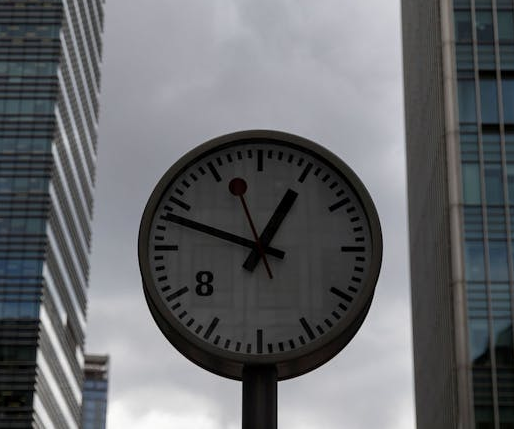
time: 12:48
